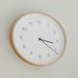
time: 3:21
